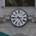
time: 4:45
